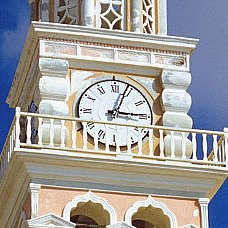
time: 3:03
